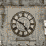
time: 4:49
